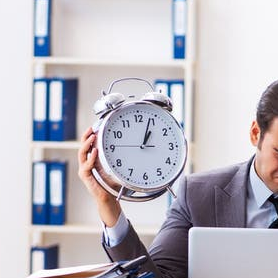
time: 1:03
